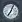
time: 7:04
